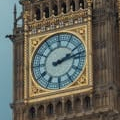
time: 2:12
